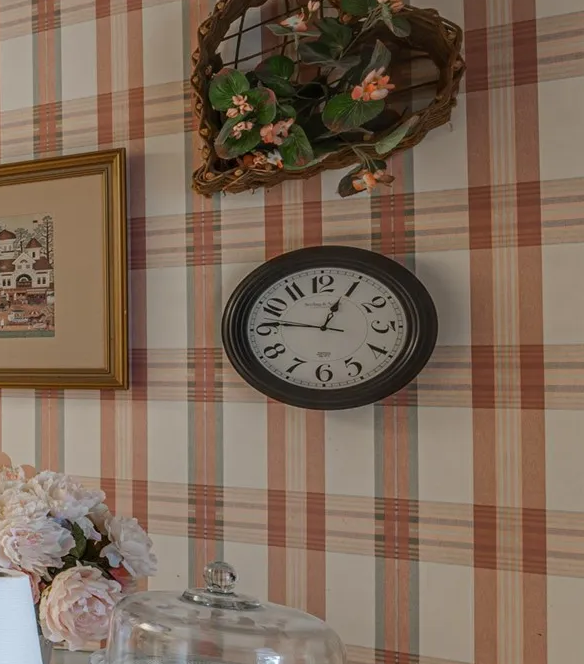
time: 12:46
